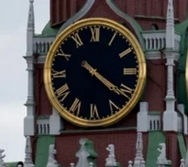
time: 4:20
